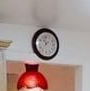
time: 10:36
